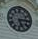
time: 5:14
